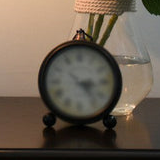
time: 3:23
